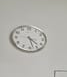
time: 4:27
